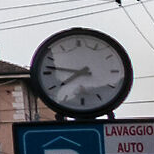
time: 7:46
